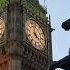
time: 3:58
